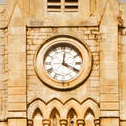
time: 4:01
